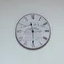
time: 11:29
